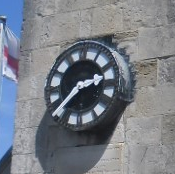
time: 2:37
